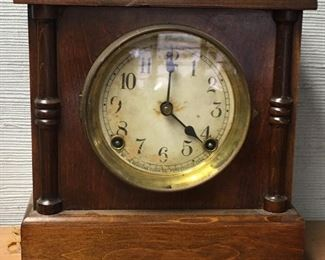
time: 4:21
